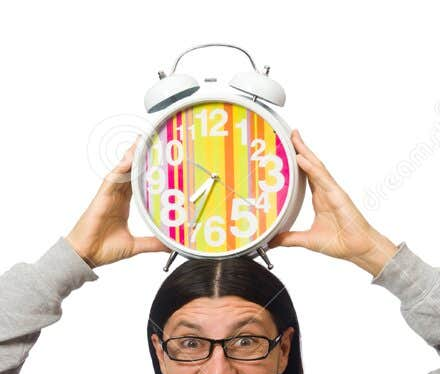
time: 7:34
